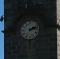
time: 2:12
